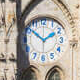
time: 1:51
